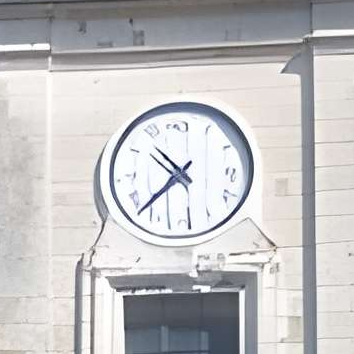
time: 10:37
